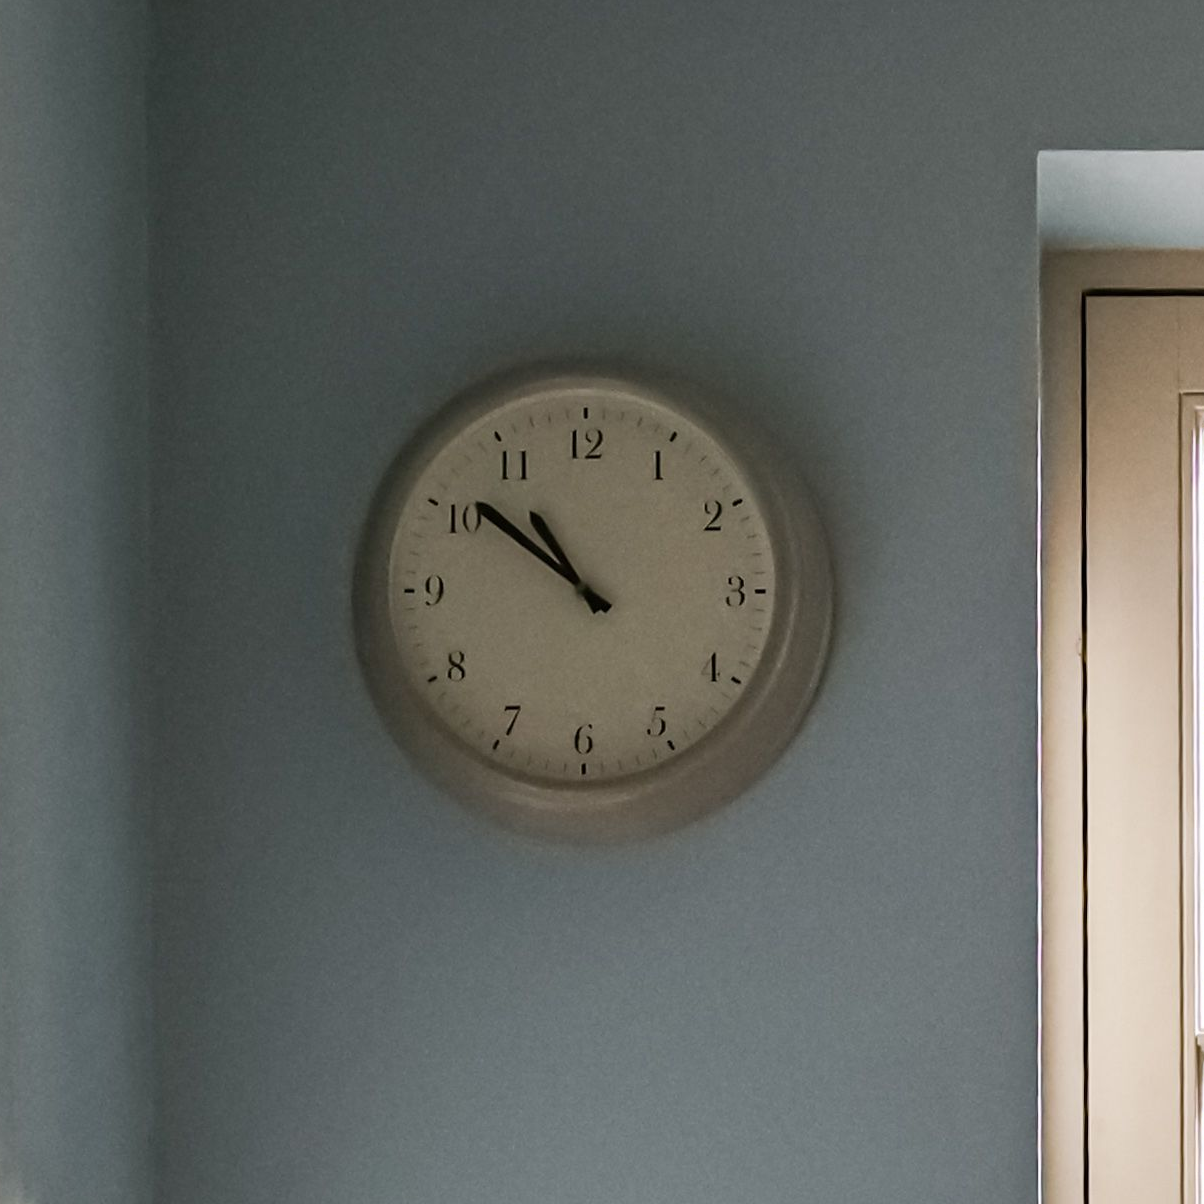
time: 10:51
